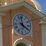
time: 3:58
